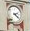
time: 2:21
